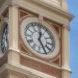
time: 12:24
